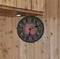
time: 6:10
